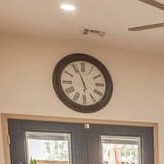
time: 5:56
